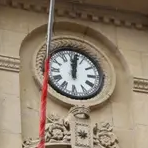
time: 12:01
